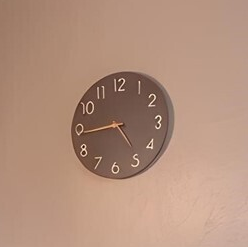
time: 4:44
